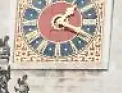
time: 1:18
